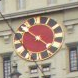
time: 10:21
